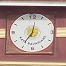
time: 12:35
